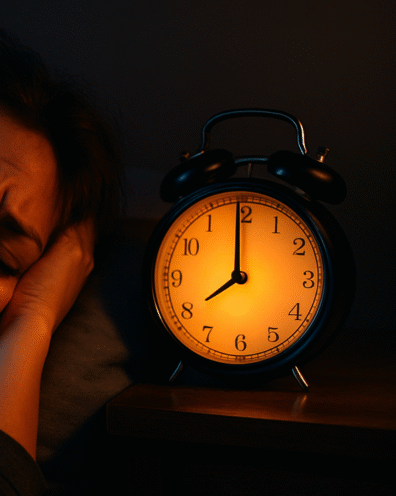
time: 7:59
